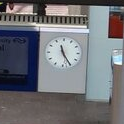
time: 11:24
